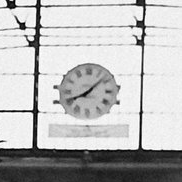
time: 8:07
